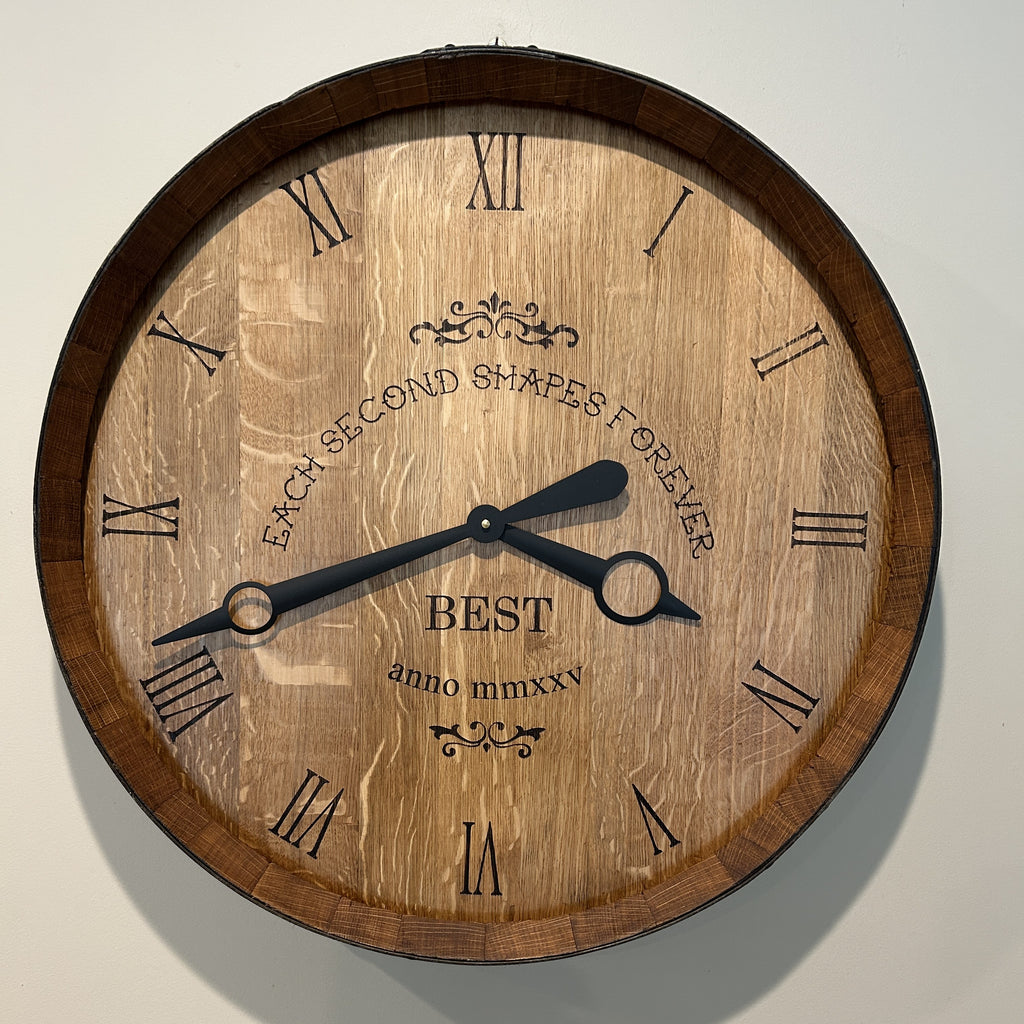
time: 3:41
